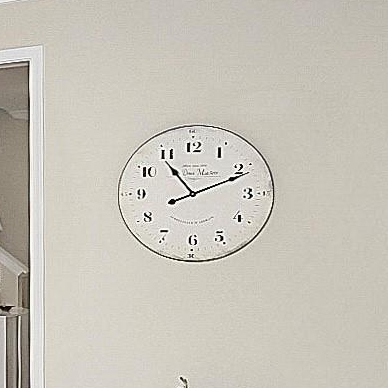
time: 8:11
